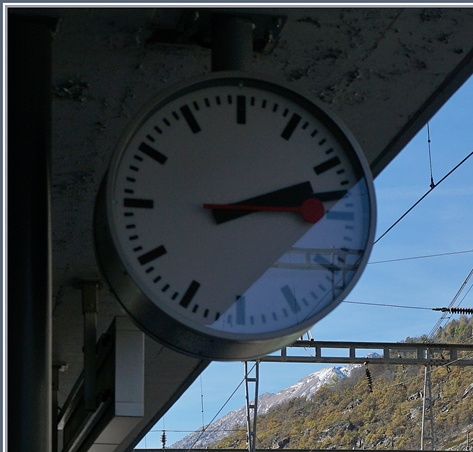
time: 2:13
